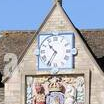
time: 10:35
